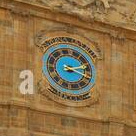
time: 2:18
